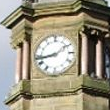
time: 1:43
